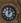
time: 12:07
